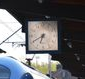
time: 6:40
